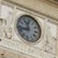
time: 11:42
